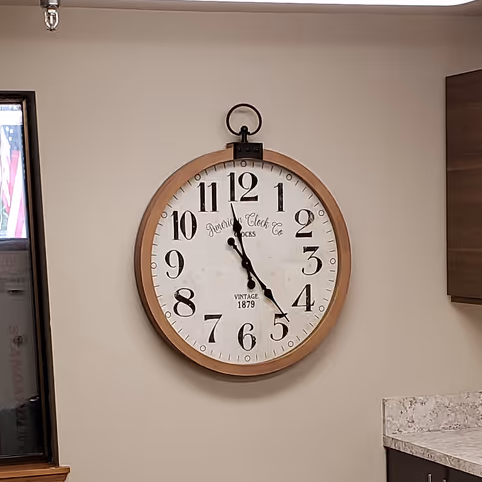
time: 11:23
